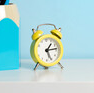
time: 1:13
